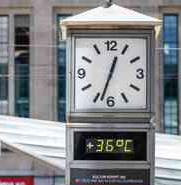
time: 12:33
